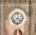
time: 7:22
